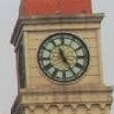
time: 11:24
